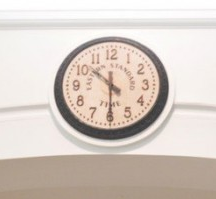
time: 10:30
